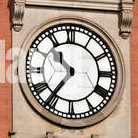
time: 10:36
